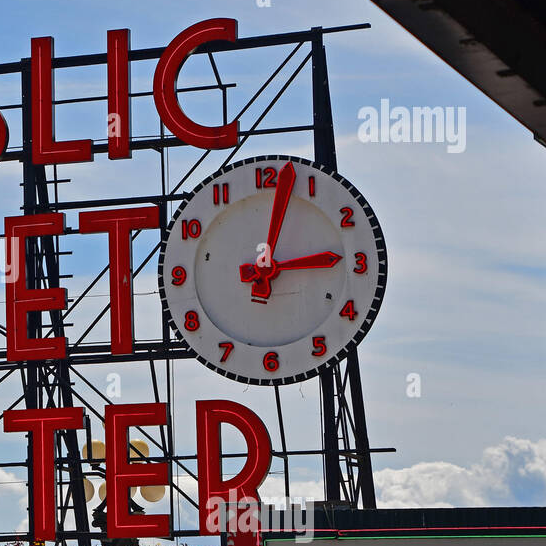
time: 3:02
